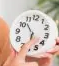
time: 5:53
